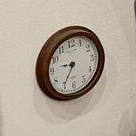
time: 9:35
